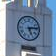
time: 5:13
